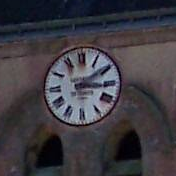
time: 3:09
